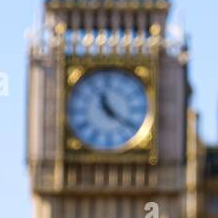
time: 11:21
